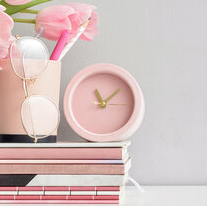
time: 11:08
